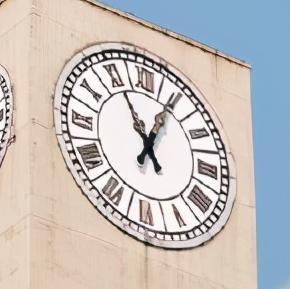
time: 11:04
